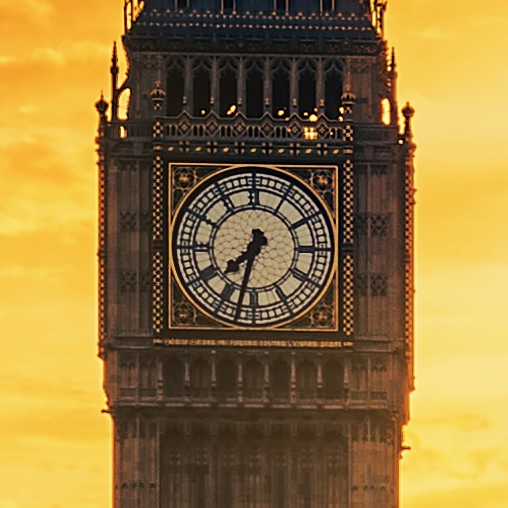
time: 7:32
